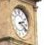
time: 2:21
